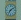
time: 7:08
